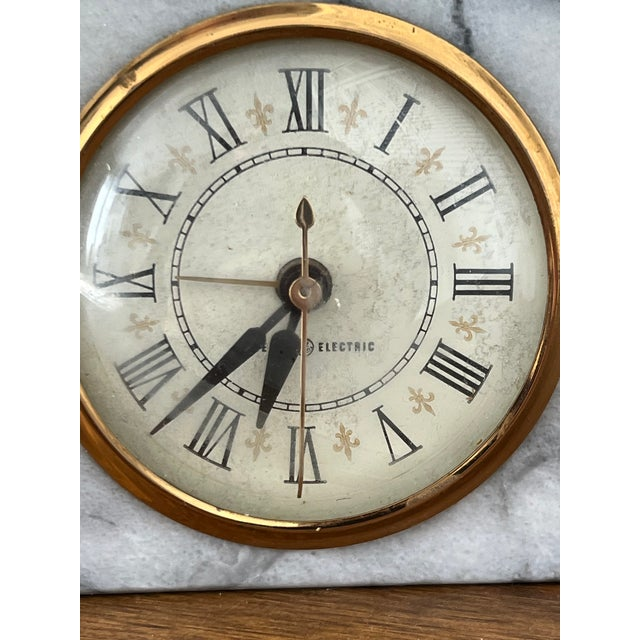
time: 6:37
